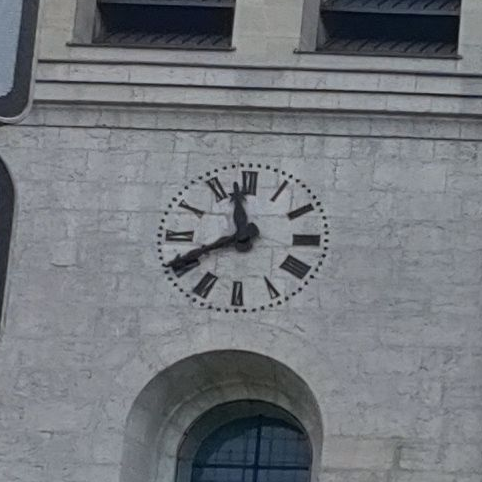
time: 11:40
